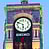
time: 5:48
